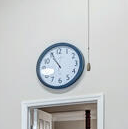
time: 10:54
